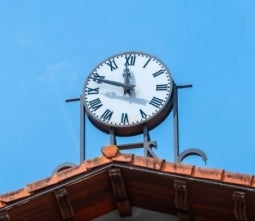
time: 11:48
